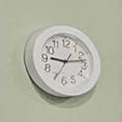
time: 9:13
